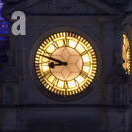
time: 8:47
